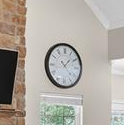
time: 1:22
